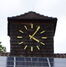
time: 4:05
